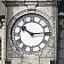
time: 10:14
